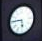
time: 5:45
